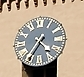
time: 4:35
